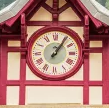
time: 1:05
